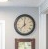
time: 11:37
